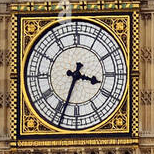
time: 3:33
